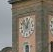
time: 12:52
